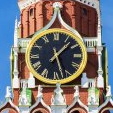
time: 1:27
